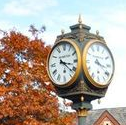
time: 3:21
